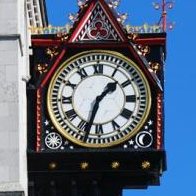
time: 1:33
